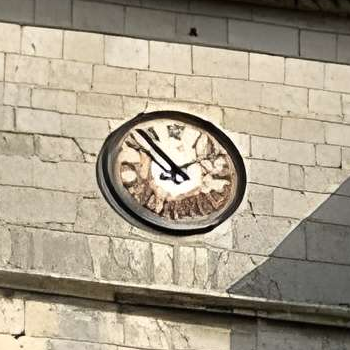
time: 1:53
